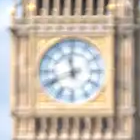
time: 11:41
